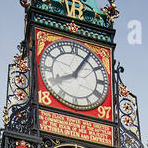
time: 8:05
